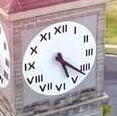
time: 5:21
